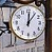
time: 12:06
